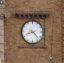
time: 8:22
